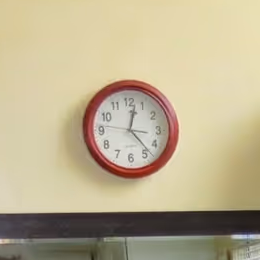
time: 12:23
